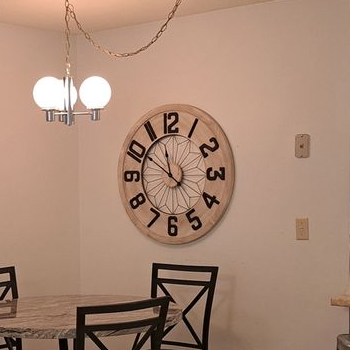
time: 11:50
